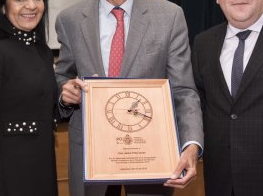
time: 1:18
